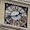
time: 1:41
